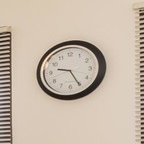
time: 9:25
